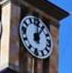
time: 12:05
